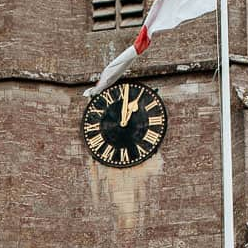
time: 1:01
